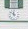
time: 11:51
